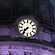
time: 7:36
